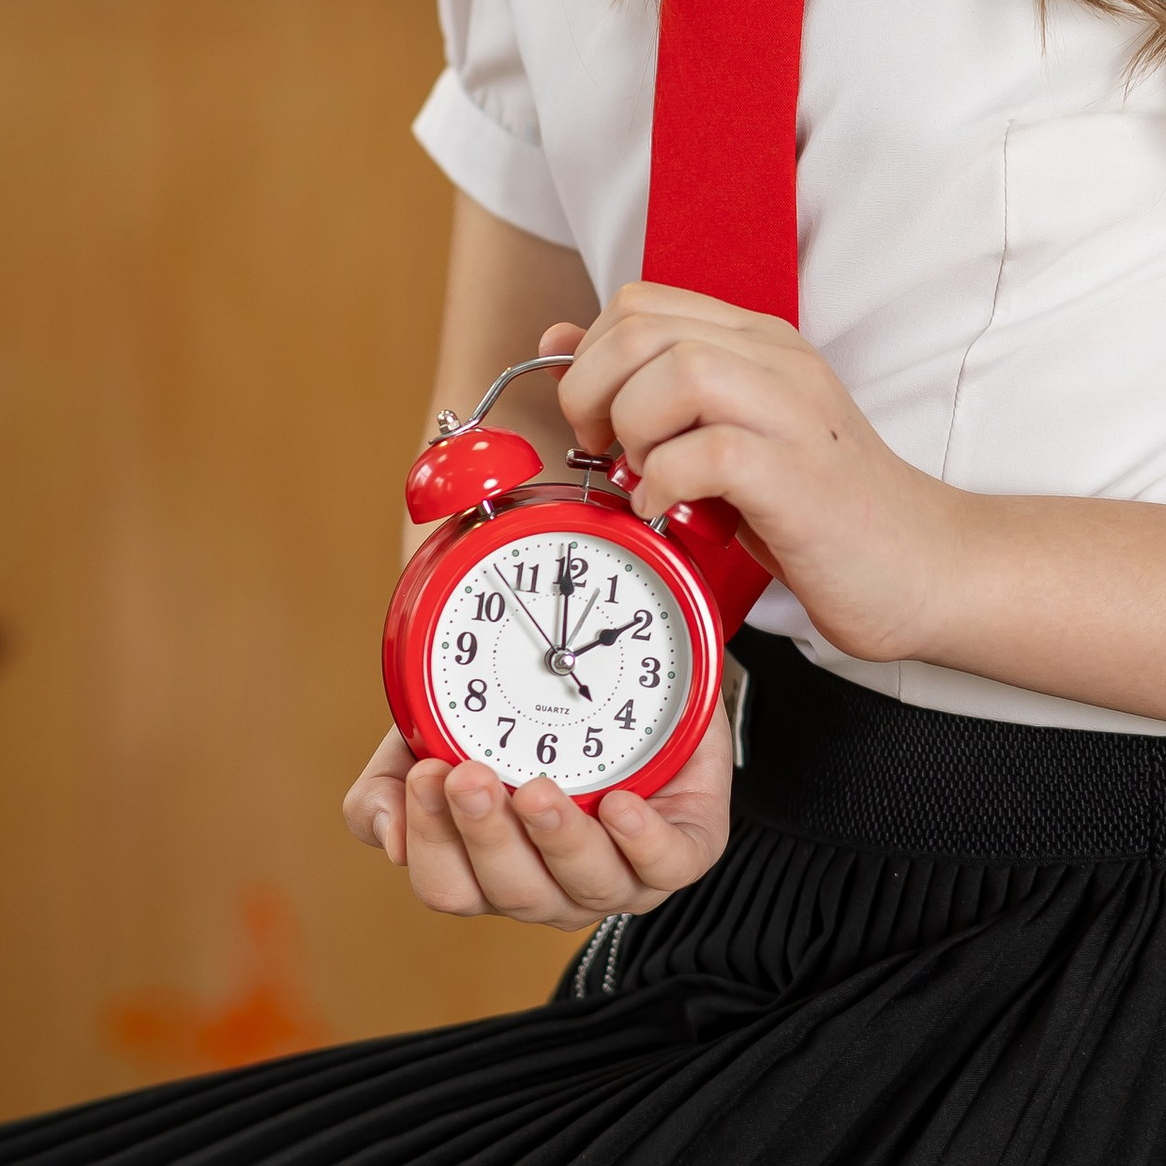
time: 1:59
